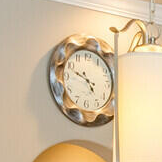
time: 4:48
